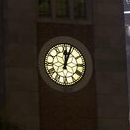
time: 12:03
